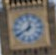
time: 12:40
